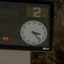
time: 3:23
